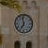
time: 6:58
